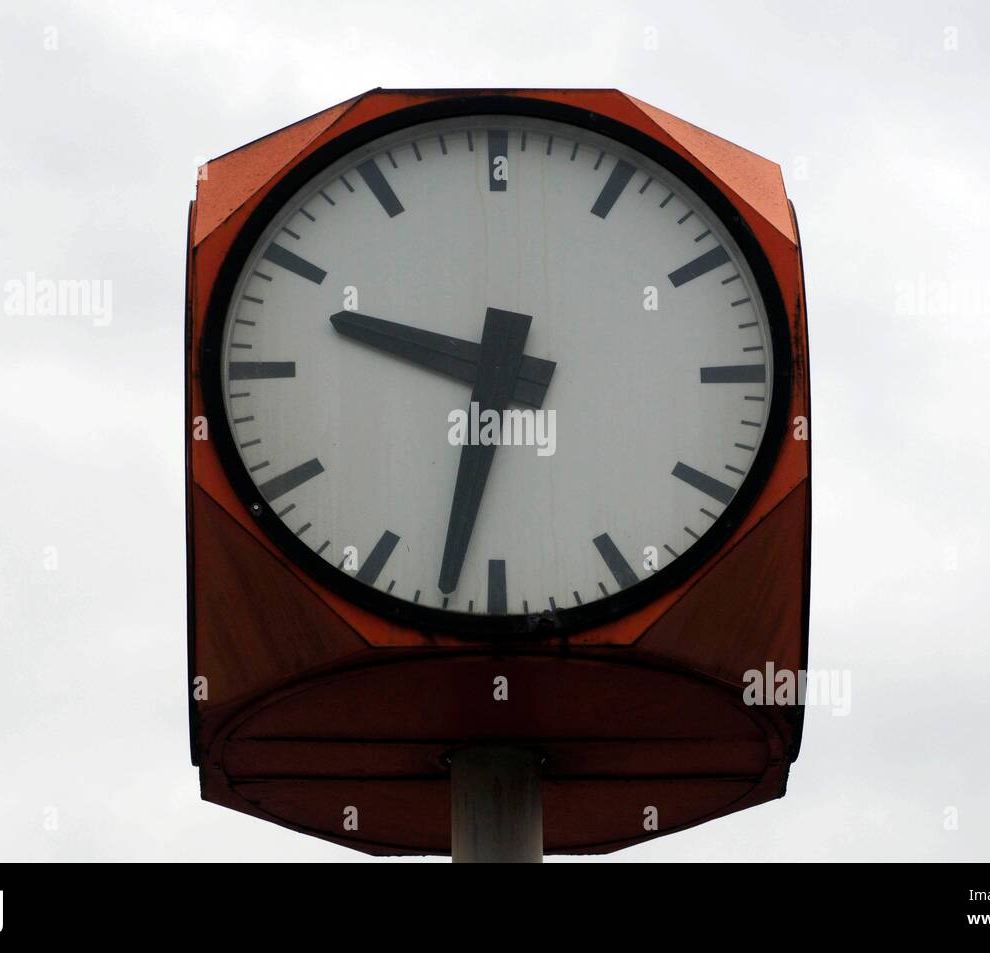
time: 9:32
